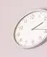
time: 2:18
